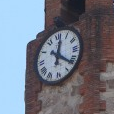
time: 12:21
